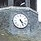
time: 4:26
